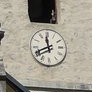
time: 11:41
